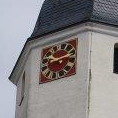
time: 9:12
